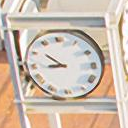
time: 8:51
